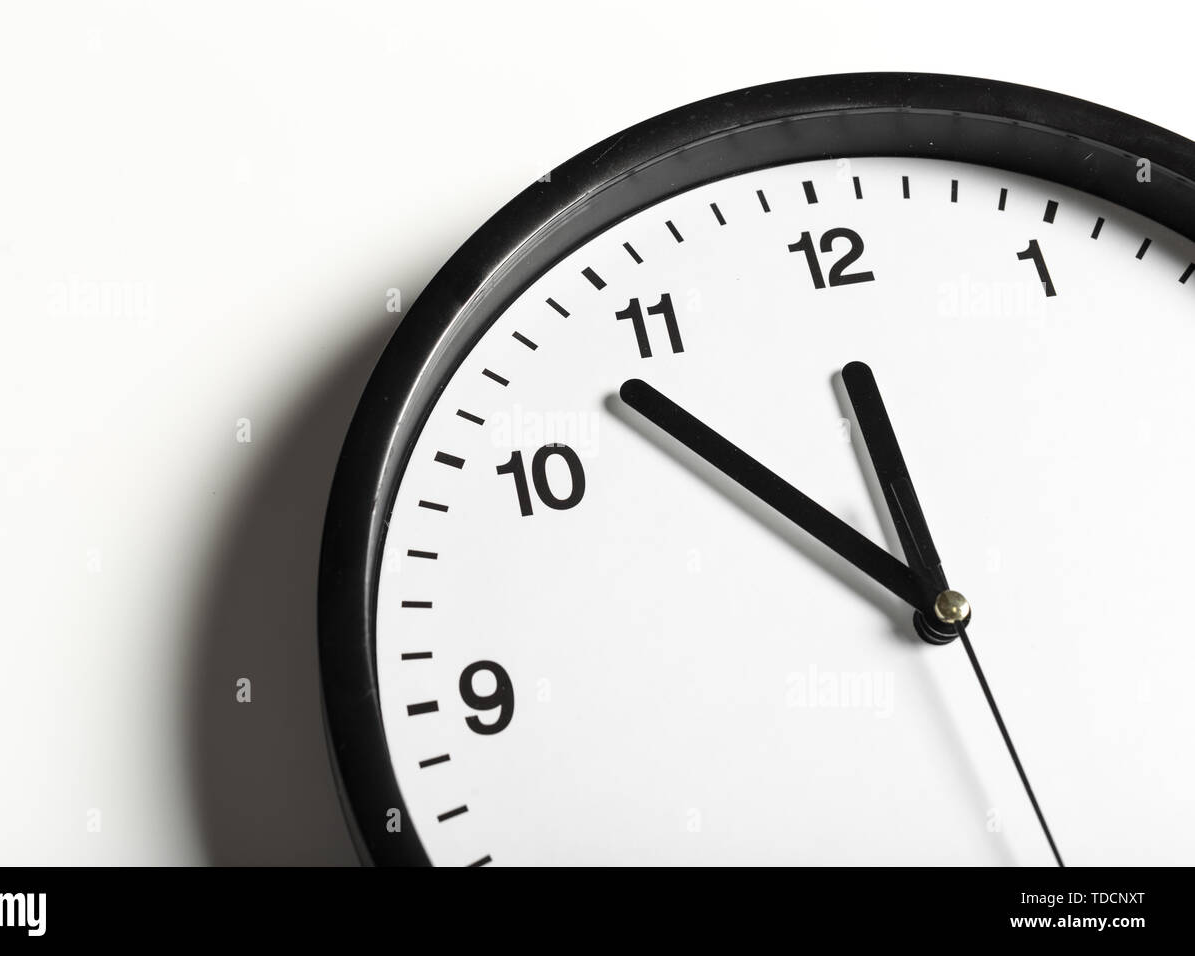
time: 11:52
